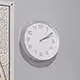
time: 2:09
